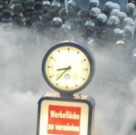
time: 8:36
